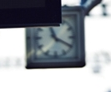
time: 11:19
